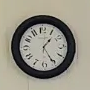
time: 1:25
